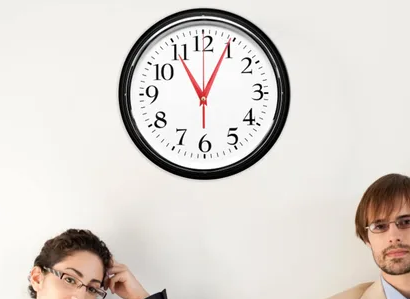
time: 11:04
